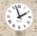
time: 1:57
